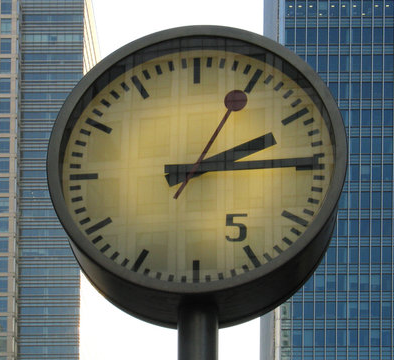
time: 2:14
